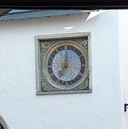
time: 7:00
